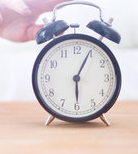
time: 6:04
